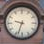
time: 9:33
